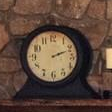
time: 2:11
